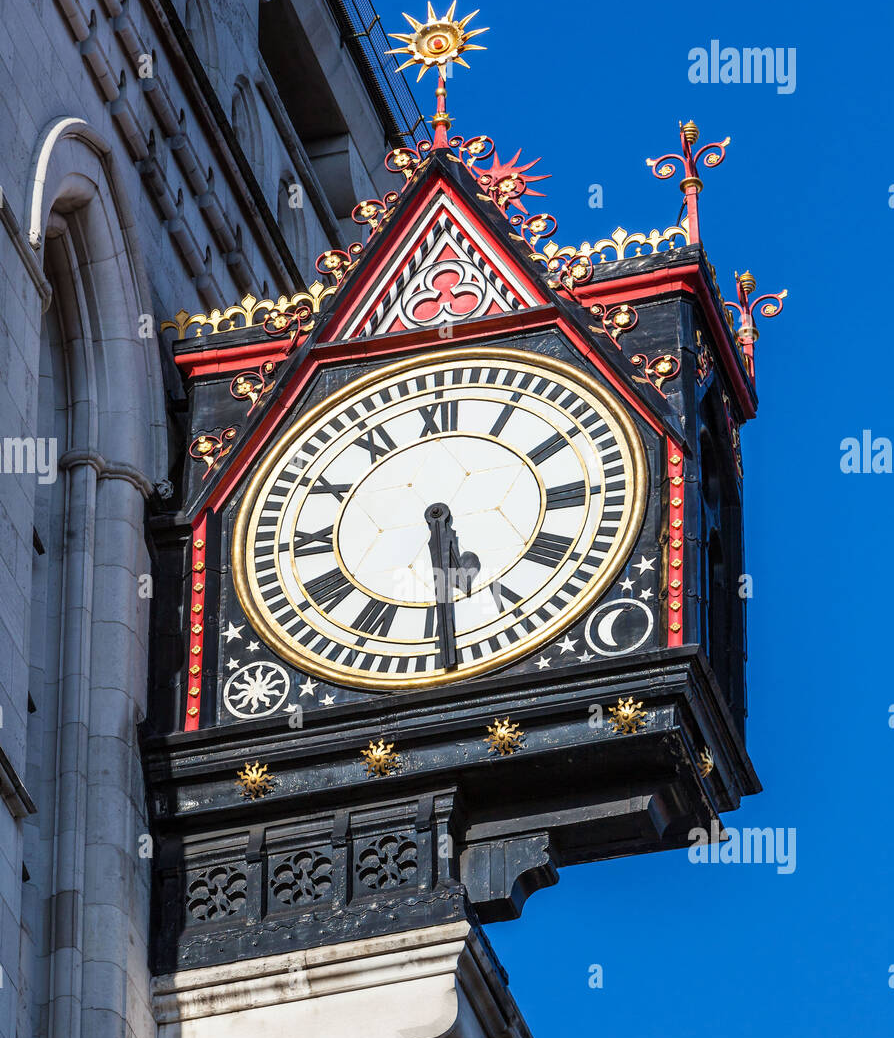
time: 5:29
